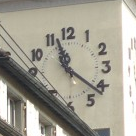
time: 11:21
